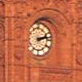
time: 2:12
